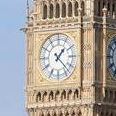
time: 1:22
